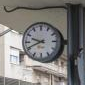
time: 9:41
